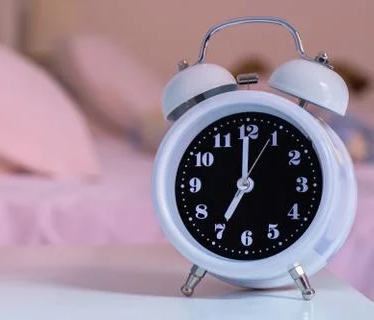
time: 7:00
